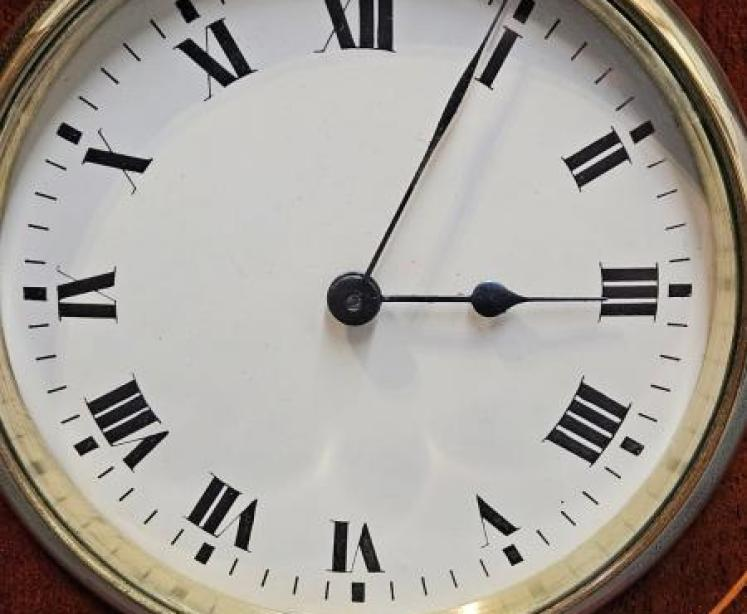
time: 3:04
